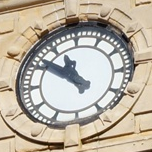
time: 10:50
